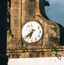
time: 6:38
